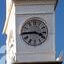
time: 3:44
